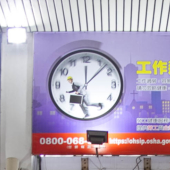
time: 10:07
